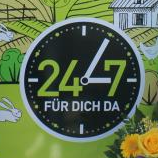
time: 3:04
